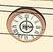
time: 3:00
